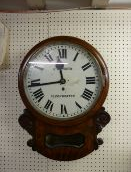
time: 11:43
